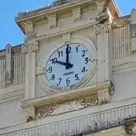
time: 9:59
